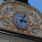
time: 3:04
